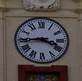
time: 3:44
